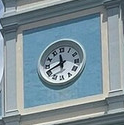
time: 11:41
